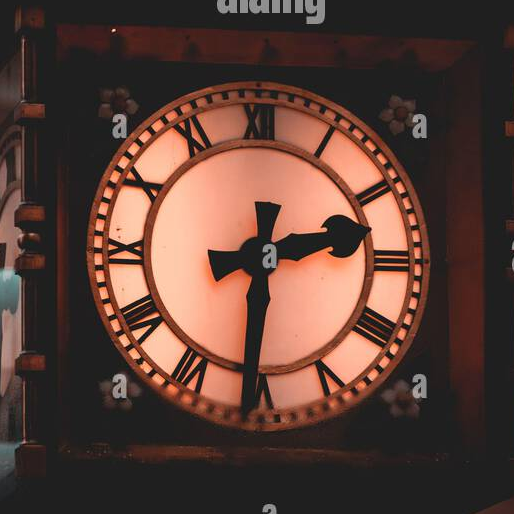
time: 2:30
